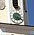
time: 5:18
